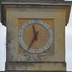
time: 11:35
